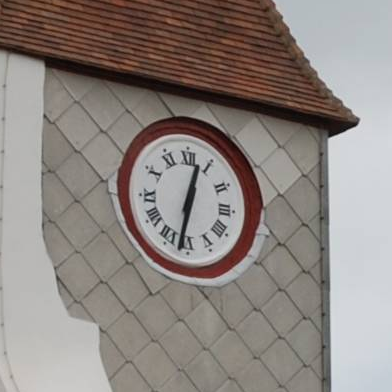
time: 12:32
